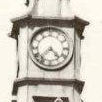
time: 4:37
